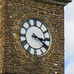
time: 3:20
